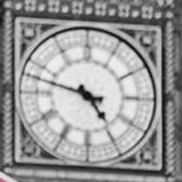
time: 4:47
